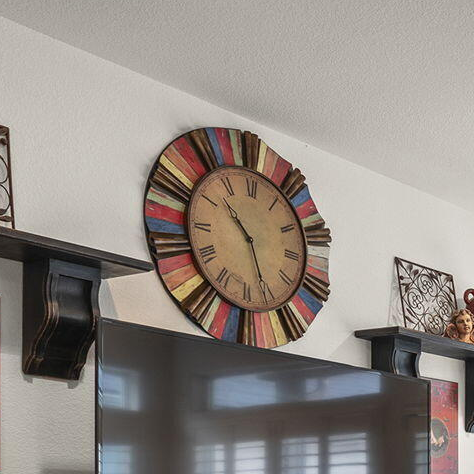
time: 10:26
